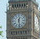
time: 12:28
